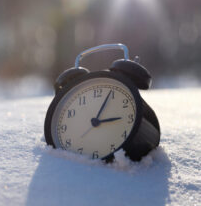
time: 3:04
